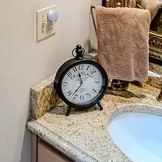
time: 11:36
